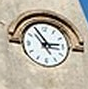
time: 2:54
